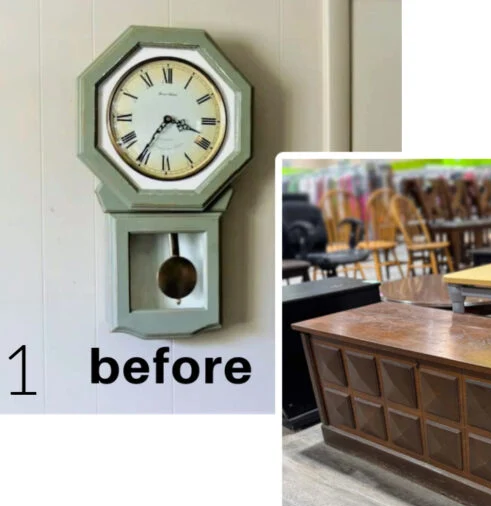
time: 3:36
